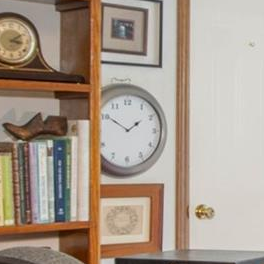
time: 1:50
